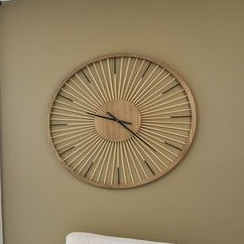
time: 9:22
